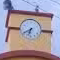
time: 6:39
